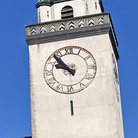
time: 9:53
